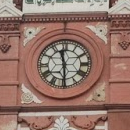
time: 11:29
